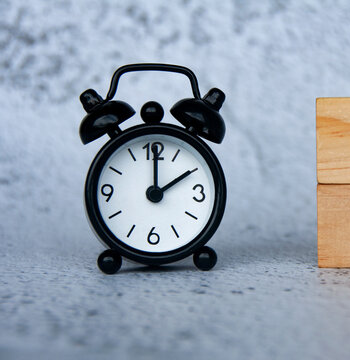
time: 2:00
